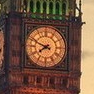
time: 7:48
